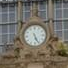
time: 5:26
